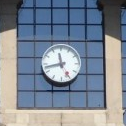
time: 11:42
